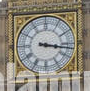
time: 3:16
